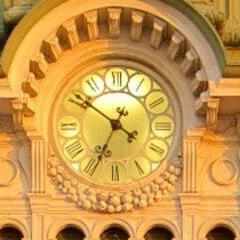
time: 6:51
